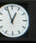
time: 12:56
